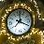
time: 12:19
